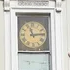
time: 11:13
